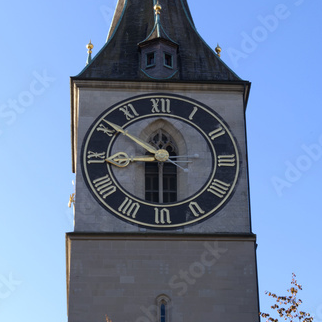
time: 8:51
